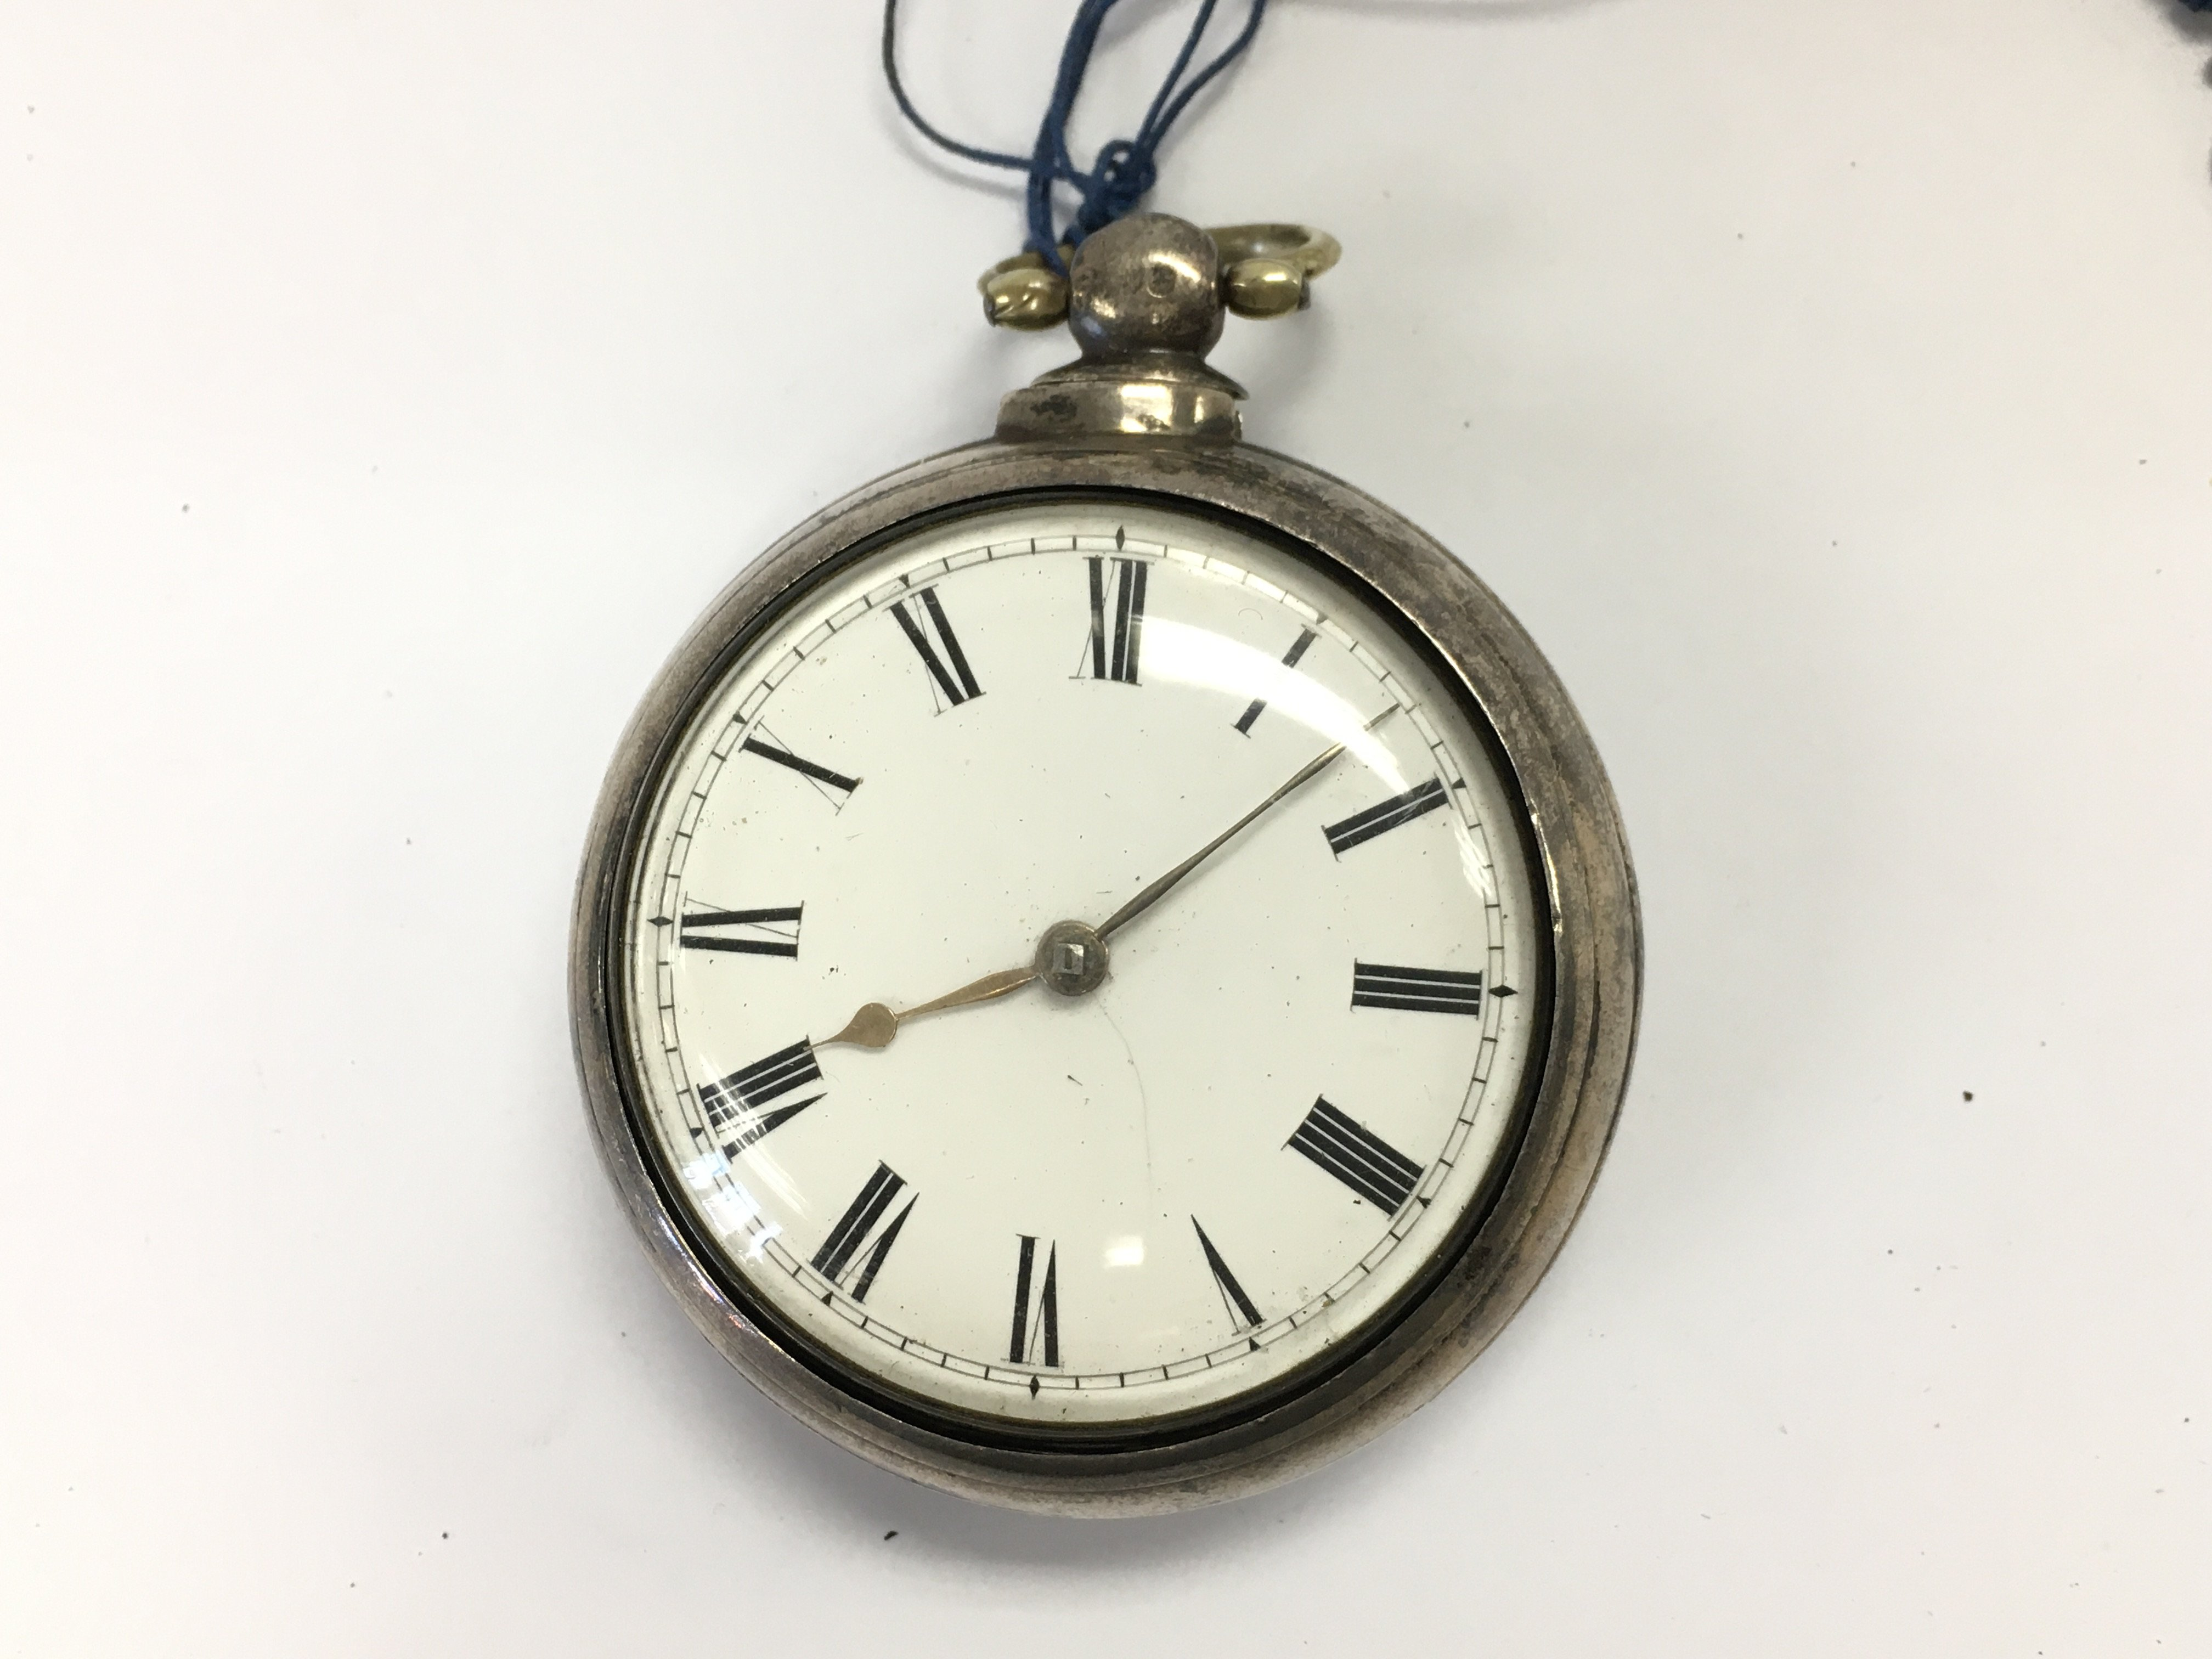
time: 8:07
